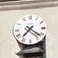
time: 7:21
